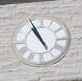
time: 10:55
